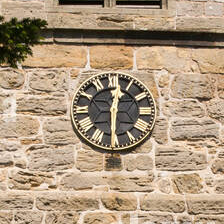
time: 12:30
